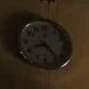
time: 8:23
